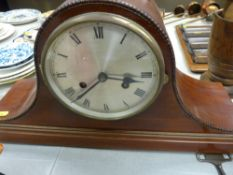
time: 3:37
